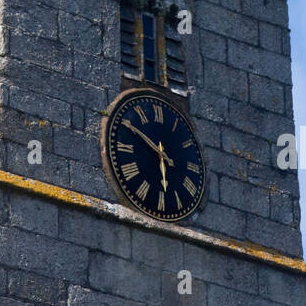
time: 5:50
